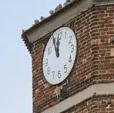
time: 11:55
